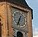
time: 12:32
